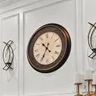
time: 10:34
